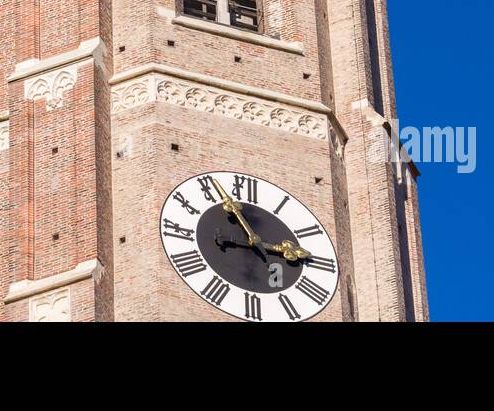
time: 11:14
